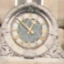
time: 12:52
